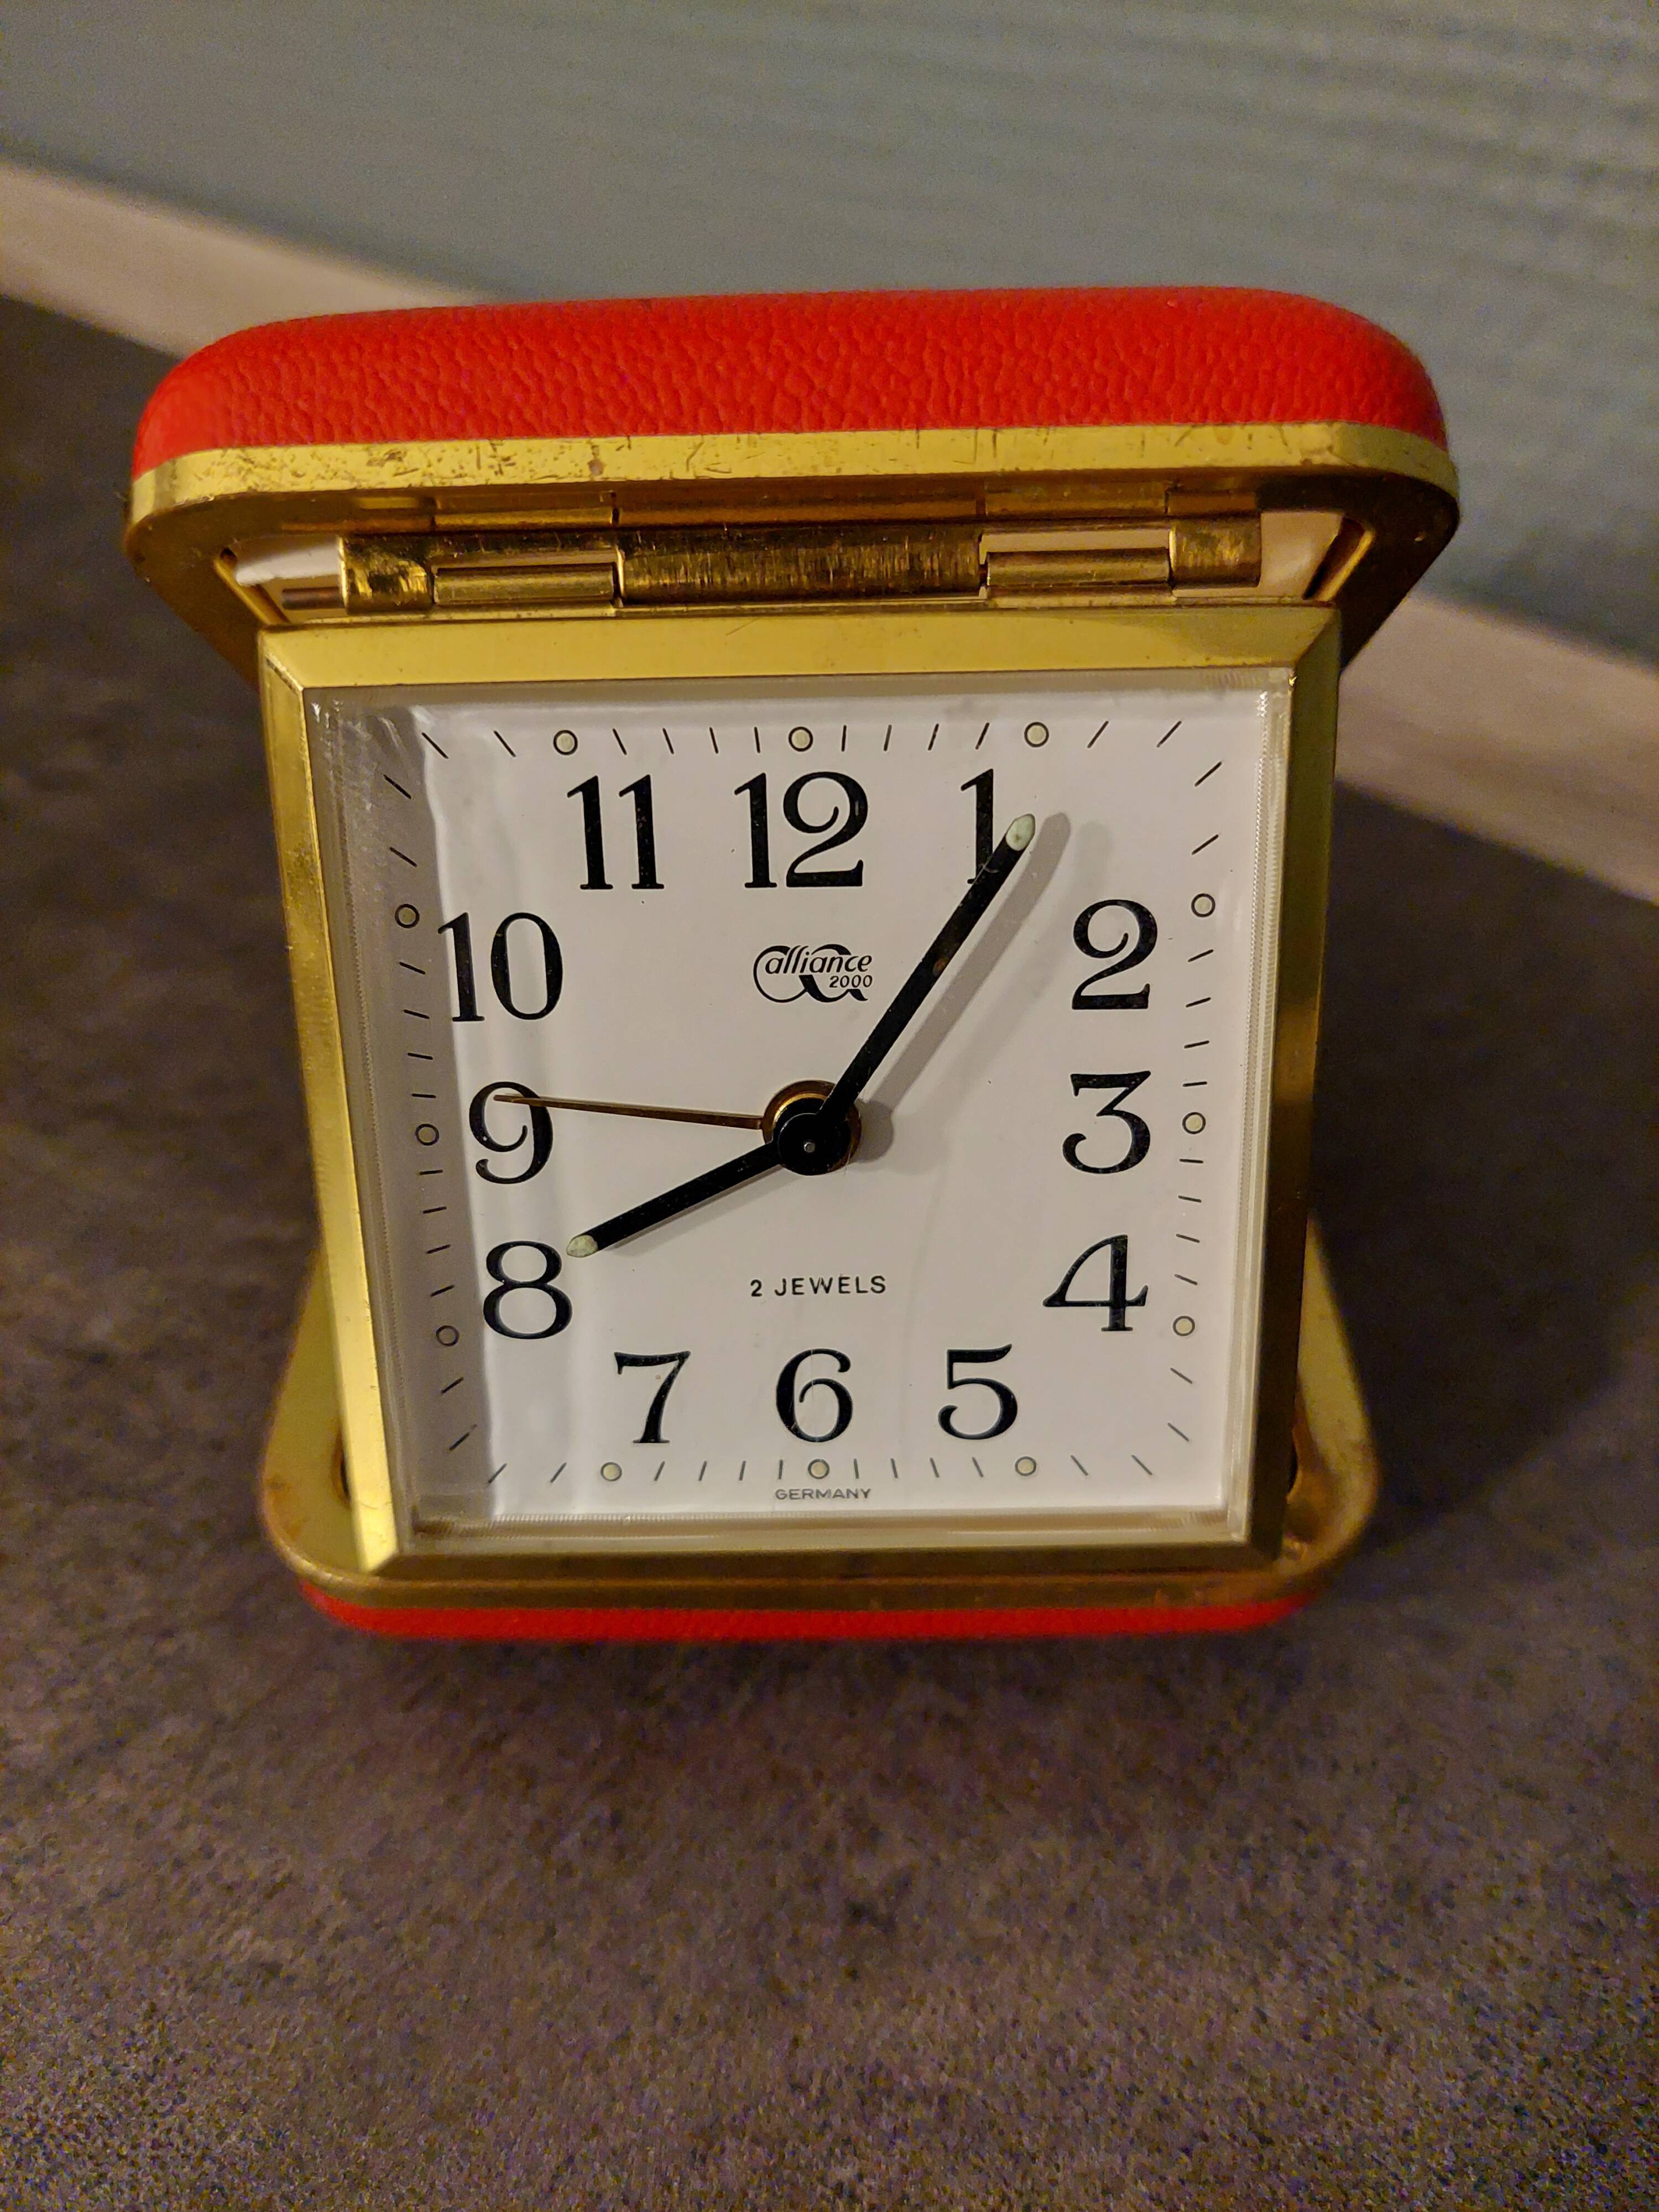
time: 8:06
